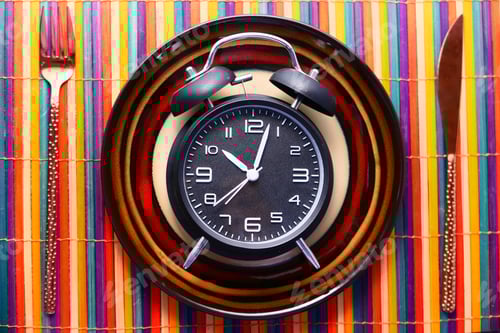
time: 10:03
